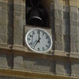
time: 7:00
